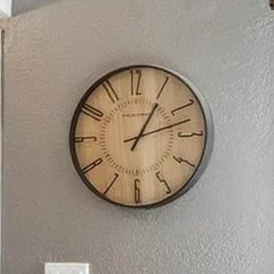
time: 1:12
